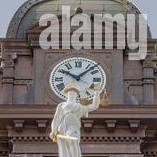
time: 10:07
